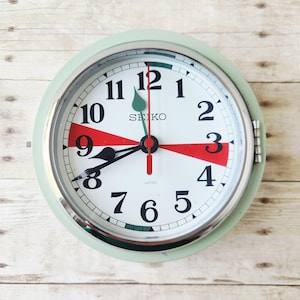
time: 8:16
